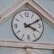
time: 4:10
